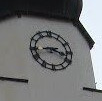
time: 3:43
